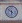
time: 5:51
